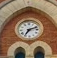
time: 7:11
